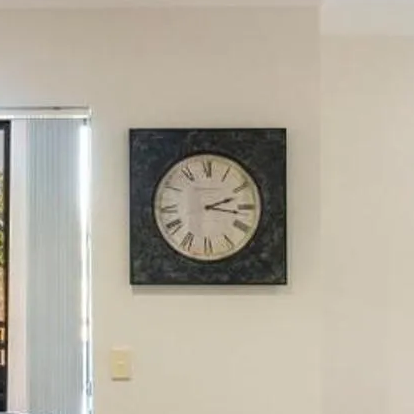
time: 2:16
